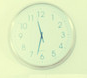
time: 11:32
